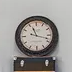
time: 11:17
